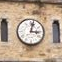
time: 3:02
